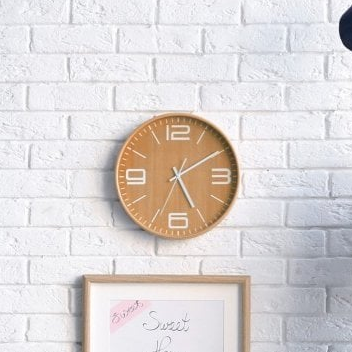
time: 5:09
